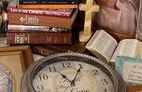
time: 11:05
